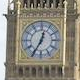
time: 12:34
